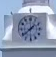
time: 1:38
